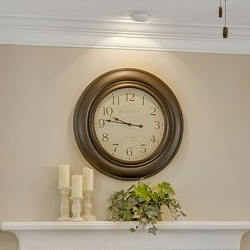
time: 9:46
